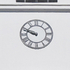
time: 9:48
